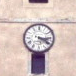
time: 3:20
